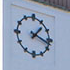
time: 1:18
